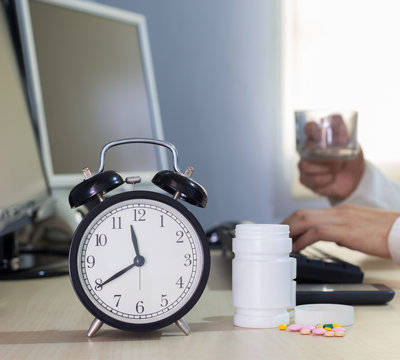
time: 11:39
